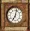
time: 7:02
